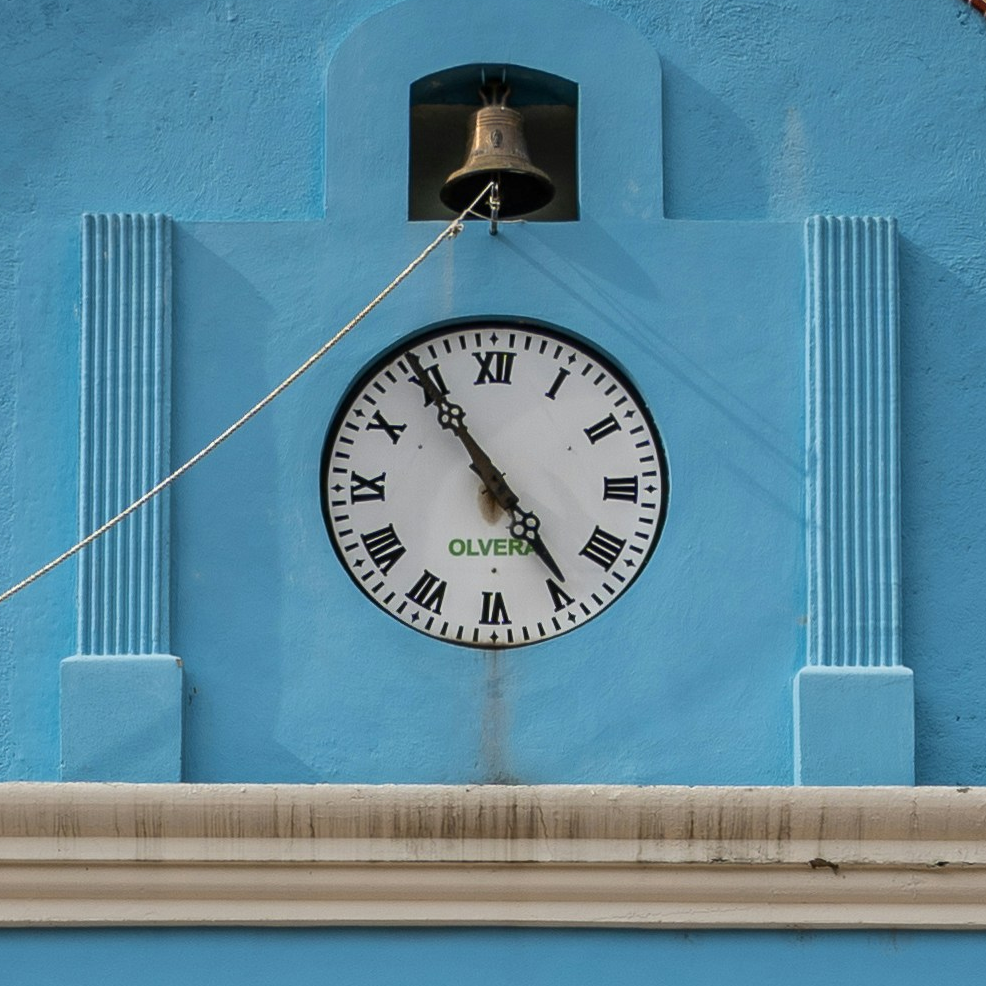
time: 4:54
